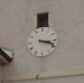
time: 3:18
